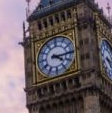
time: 4:14
